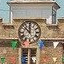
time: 11:52
